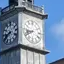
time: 8:40
